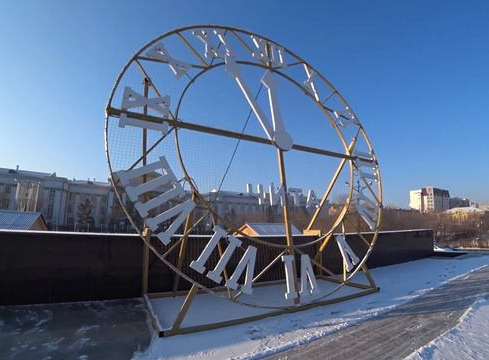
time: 11:46
